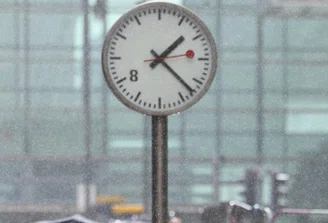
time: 1:22
